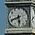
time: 5:41
